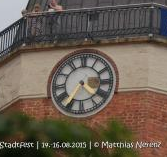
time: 4:35
